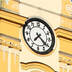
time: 7:21
